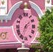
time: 7:08
